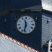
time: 11:32
